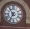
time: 6:54
